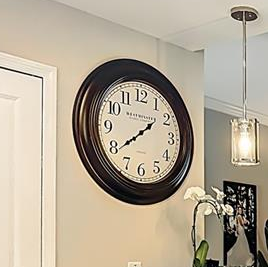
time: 1:38
